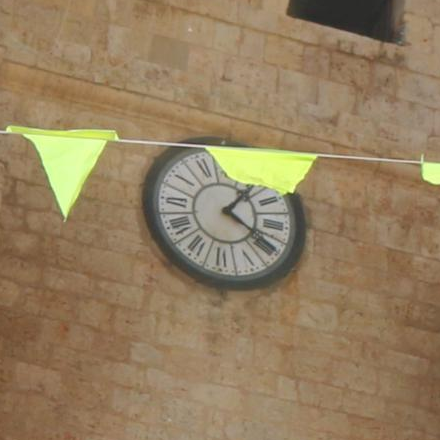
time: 1:20
